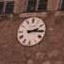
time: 2:15
